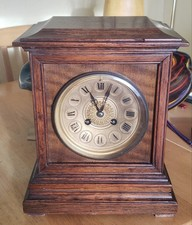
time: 11:03
